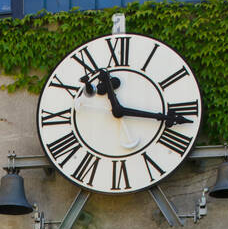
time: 11:16
